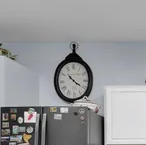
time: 10:20
